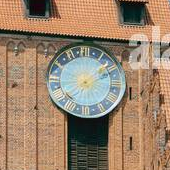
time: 1:37
